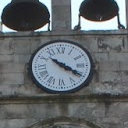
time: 10:20
